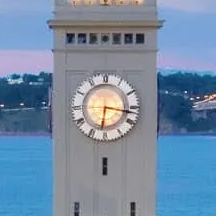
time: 6:16
